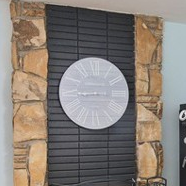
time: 8:45
